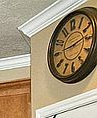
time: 9:13
